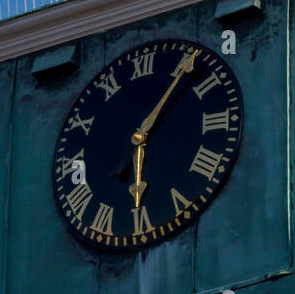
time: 6:06
